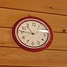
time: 10:46
